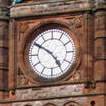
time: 4:50
